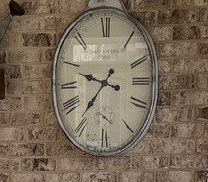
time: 9:36
